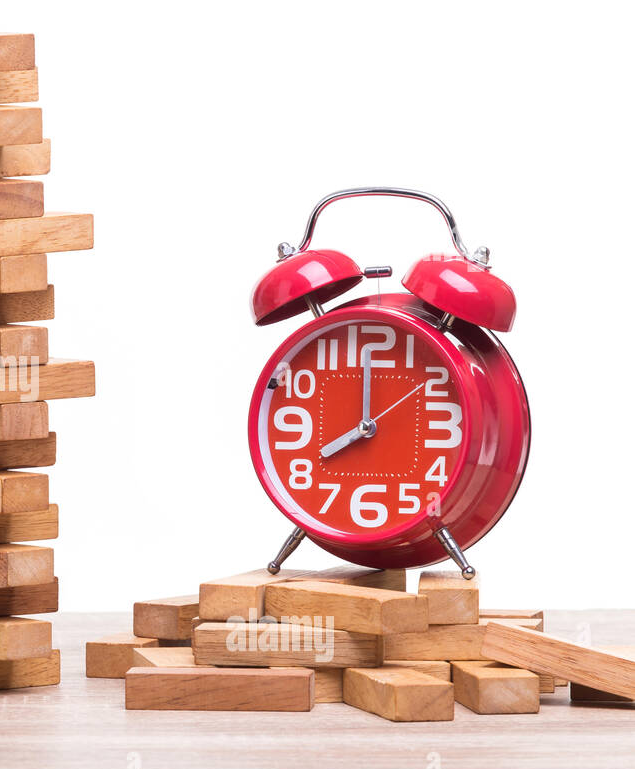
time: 7:59
